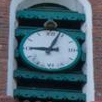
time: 9:03
